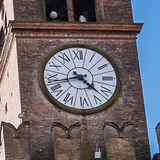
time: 4:42
